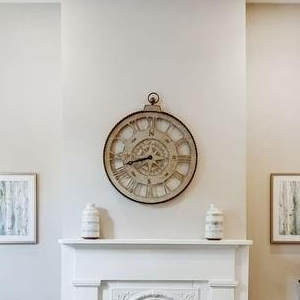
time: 8:42
